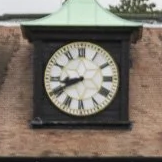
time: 8:40
